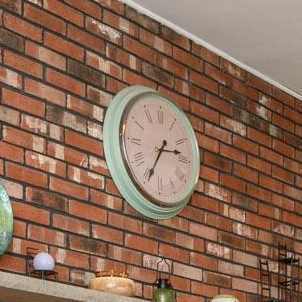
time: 2:34
